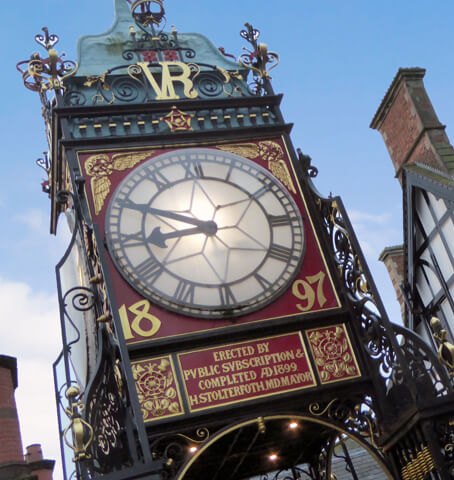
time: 8:49
